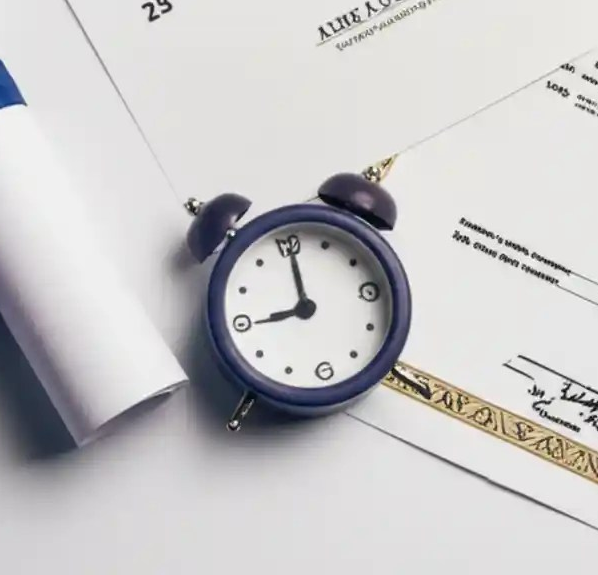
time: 9:00
